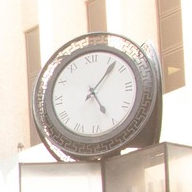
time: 5:07
